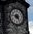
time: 4:46
